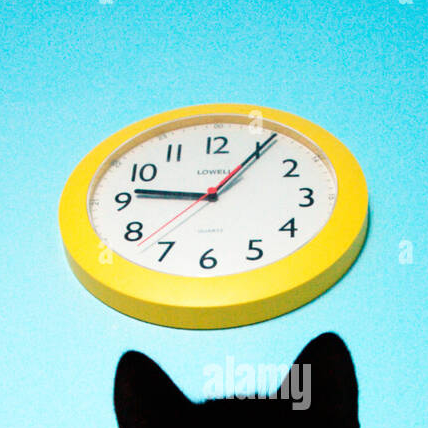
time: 9:05
